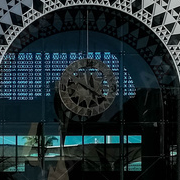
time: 12:20
